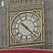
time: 10:22
